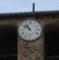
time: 10:51
